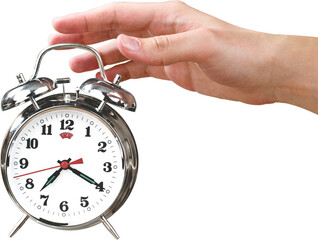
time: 7:19
